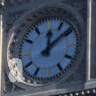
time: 12:08
